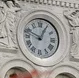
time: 12:48
